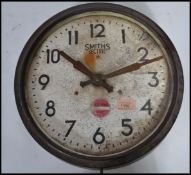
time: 10:11
